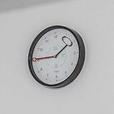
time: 1:45
